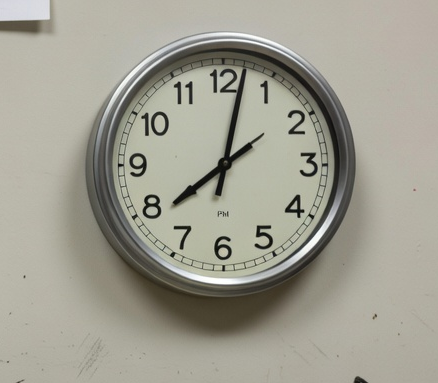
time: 8:02
